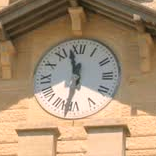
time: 11:32
